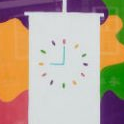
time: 9:00
